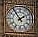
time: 1:54
